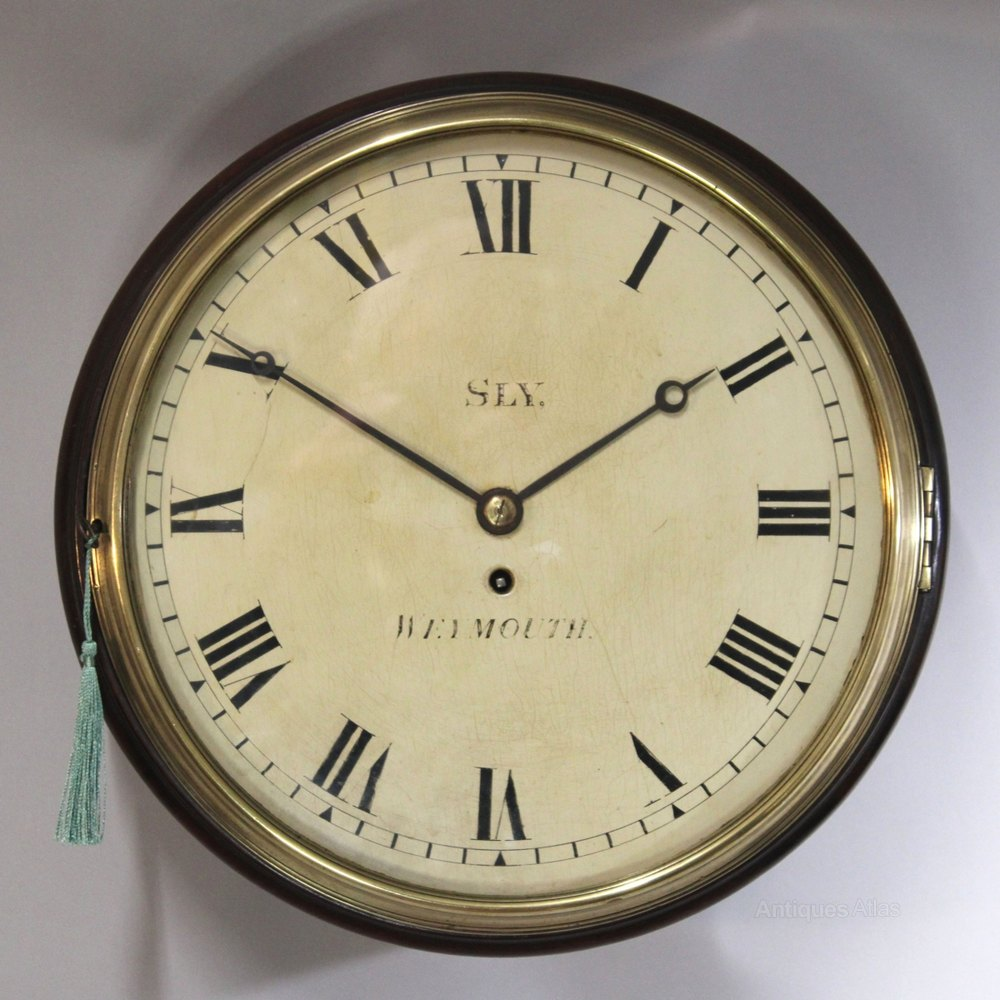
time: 1:50
